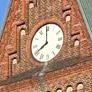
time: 7:59
